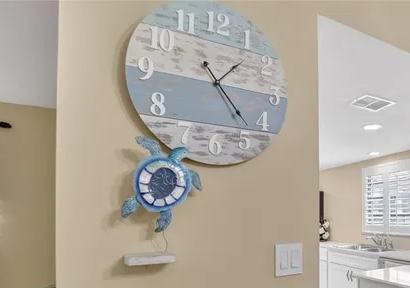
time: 1:23
